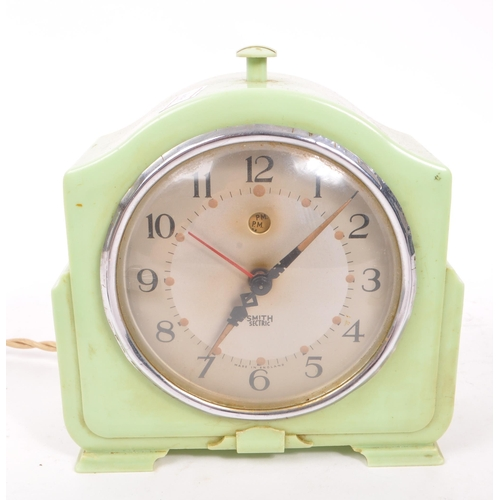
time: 1:35
